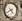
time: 4:39
